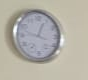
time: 12:47
